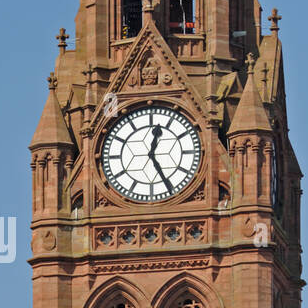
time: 12:25
